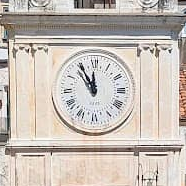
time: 11:54
